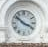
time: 3:51
